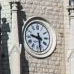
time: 9:28
